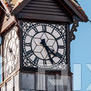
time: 4:26
